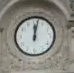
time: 12:01
